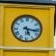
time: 5:16
